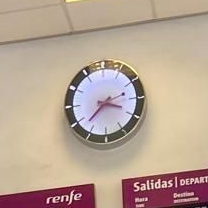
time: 3:37
